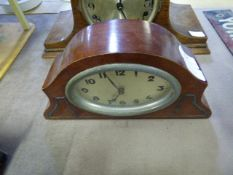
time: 6:56
